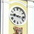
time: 9:16
